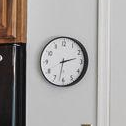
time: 2:32
